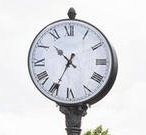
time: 10:34
